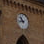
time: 10:42
